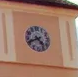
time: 4:41
